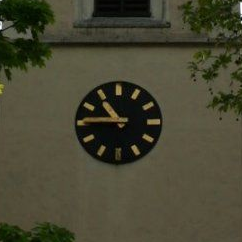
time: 10:45
